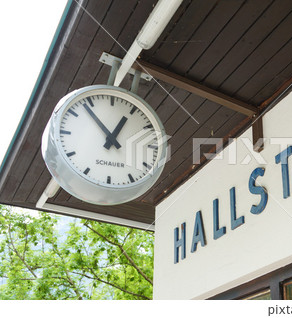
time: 12:53
